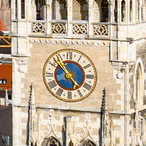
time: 4:52
